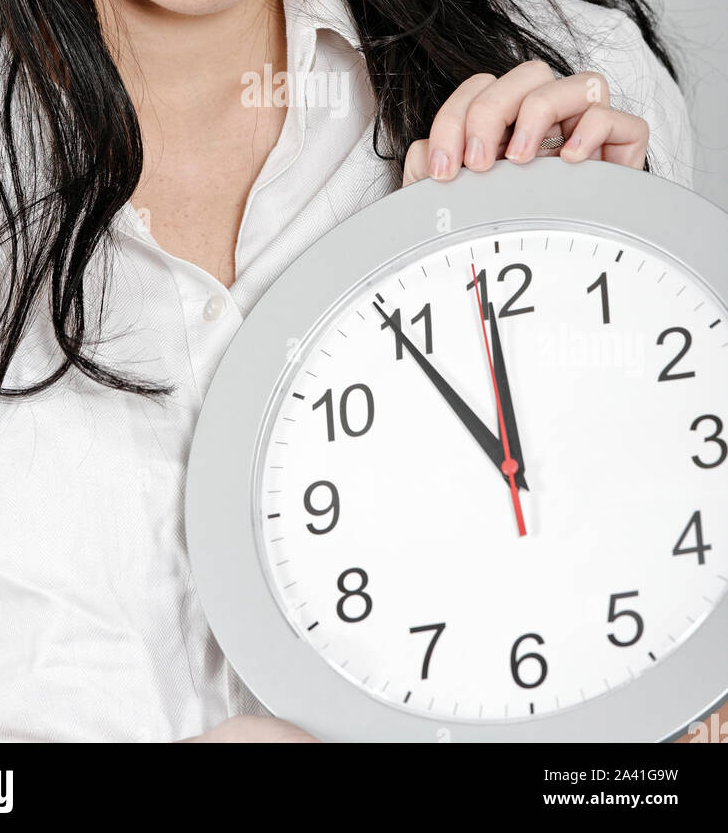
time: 11:54
